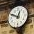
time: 12:49
